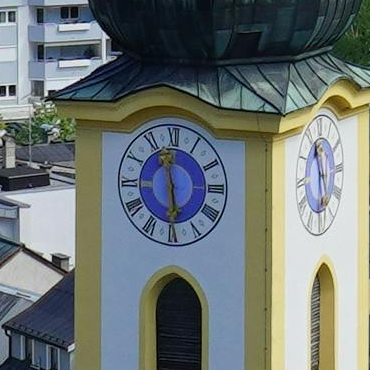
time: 5:57
